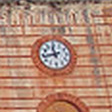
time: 11:42
